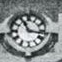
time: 11:16
